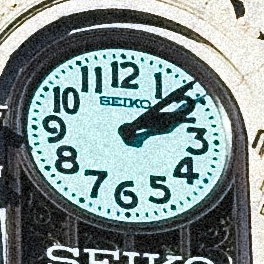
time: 2:07
